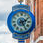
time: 2:24
